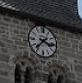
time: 3:37
